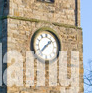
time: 1:36
